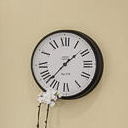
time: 1:37
